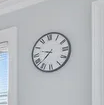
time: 9:37
